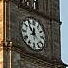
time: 11:52
